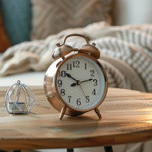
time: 10:13
